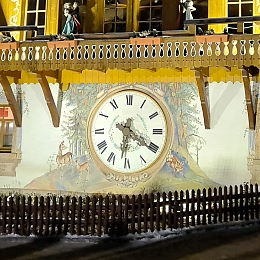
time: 6:20
